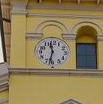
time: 11:32
